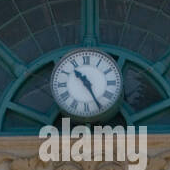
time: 10:25
